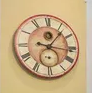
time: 1:16
